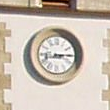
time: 3:14
